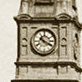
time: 10:19
